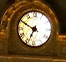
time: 6:49
